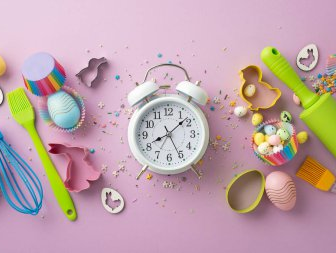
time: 8:08
